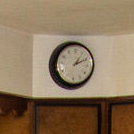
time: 1:11
